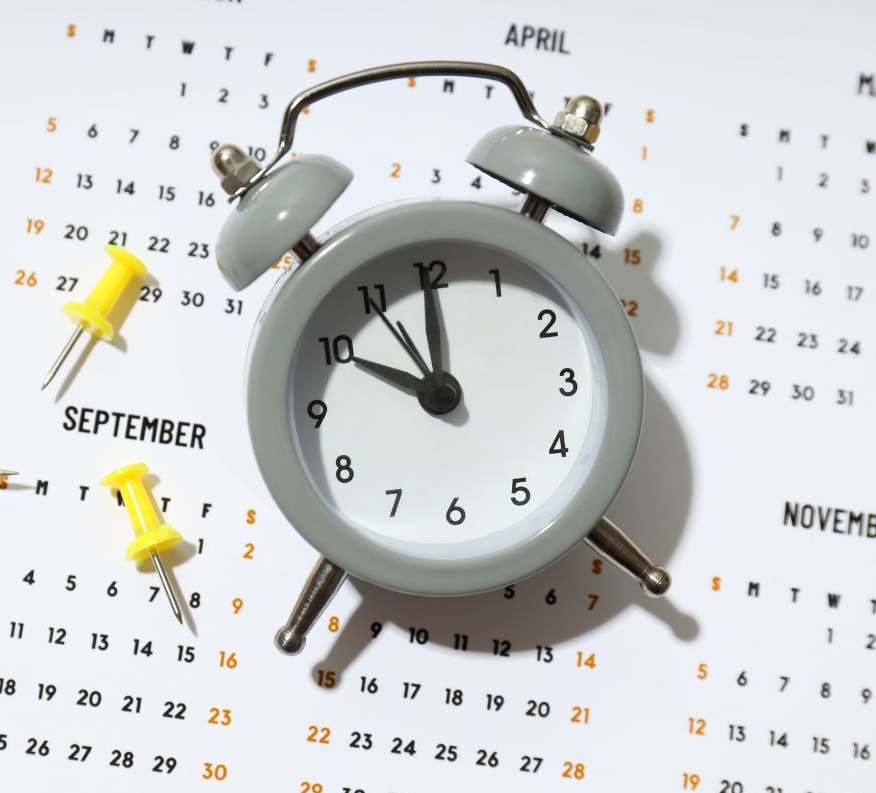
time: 10:00
